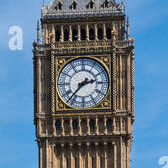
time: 2:37
